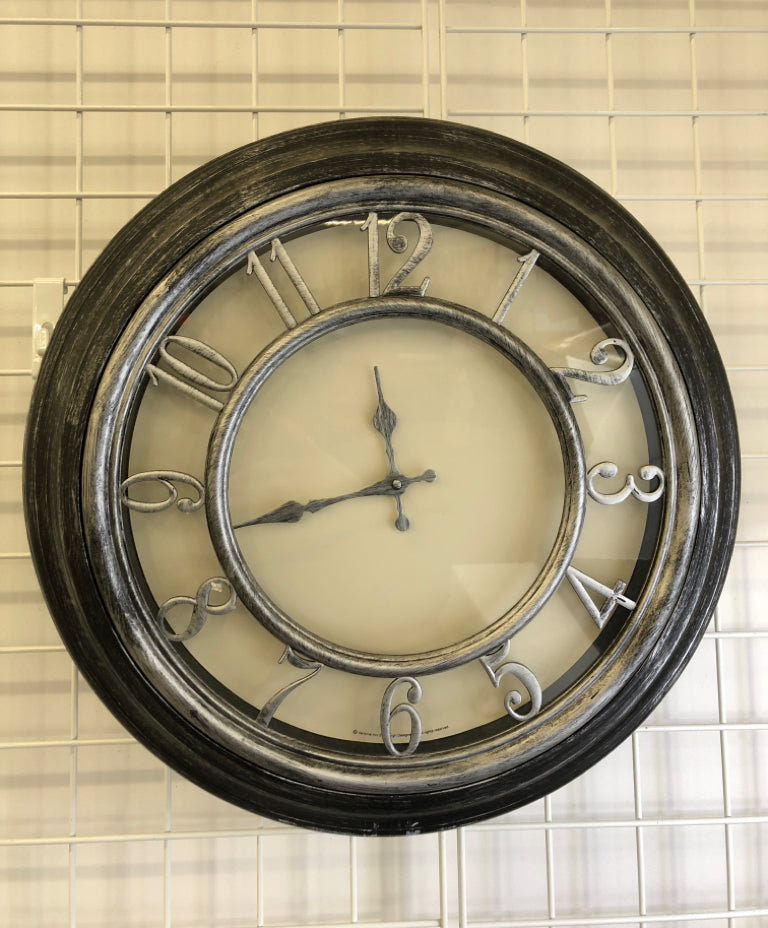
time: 11:42
